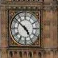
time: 4:51
